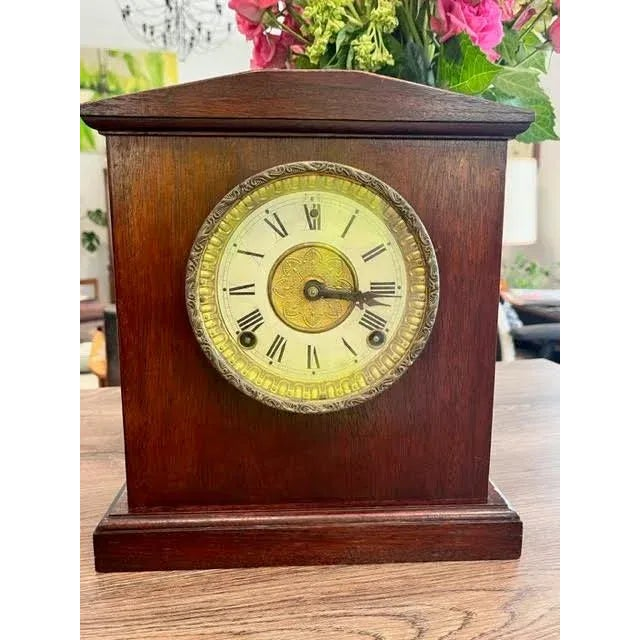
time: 3:14
